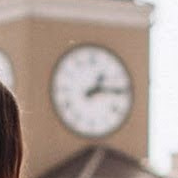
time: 1:13
